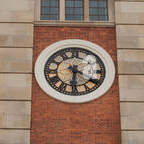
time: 6:20
